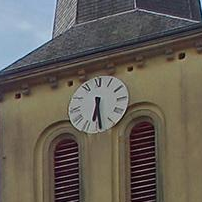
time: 6:29
